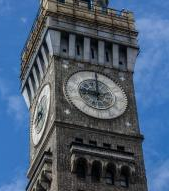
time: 9:01
